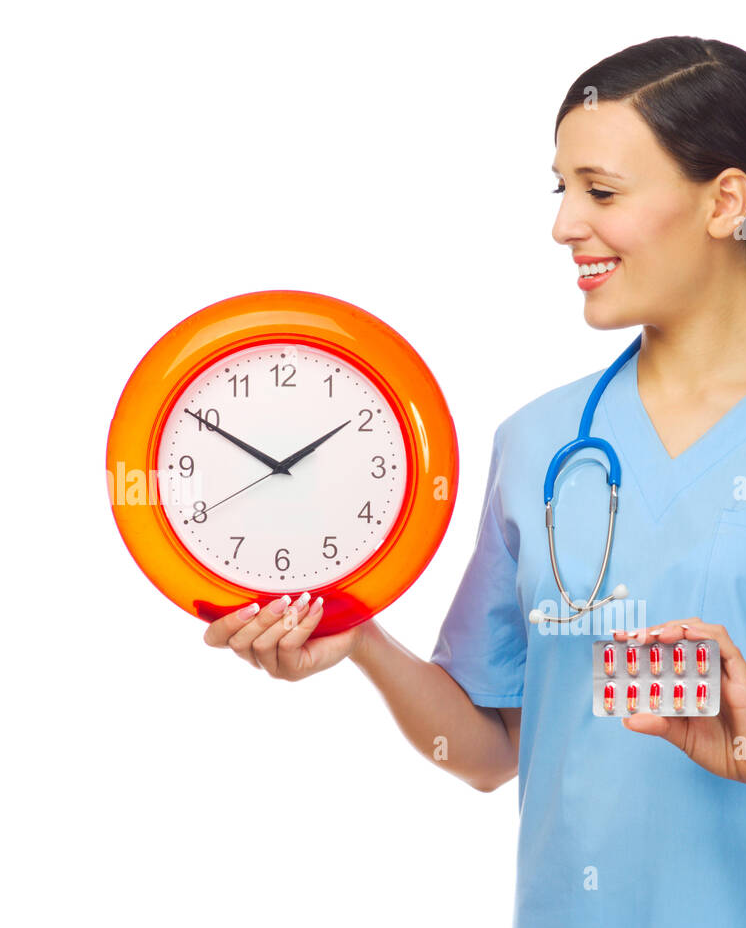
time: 1:49
